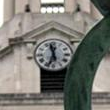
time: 11:33
